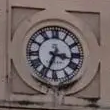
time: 3:34
